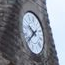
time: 9:38
